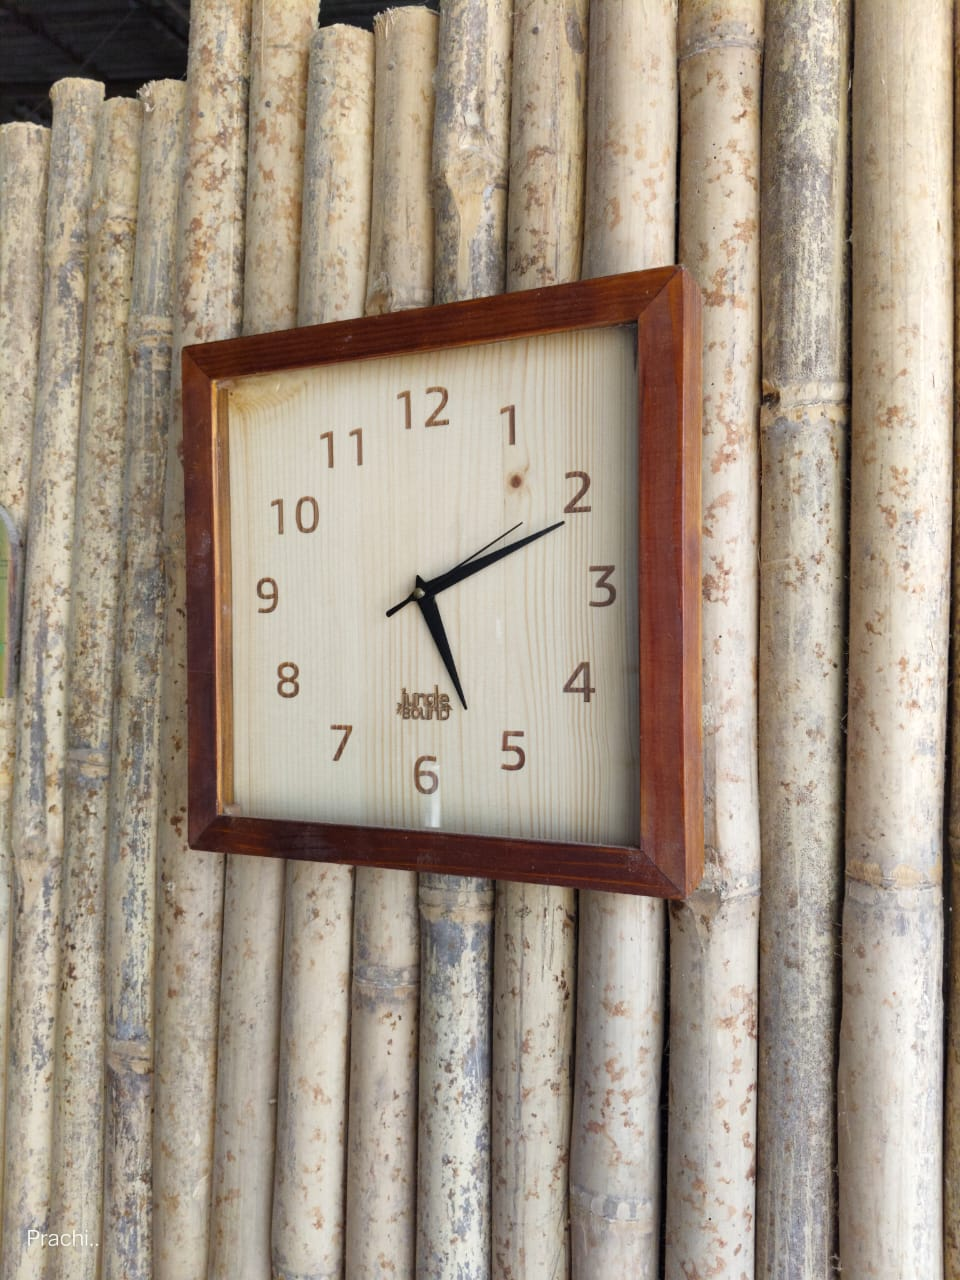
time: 5:11
